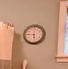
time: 5:45
